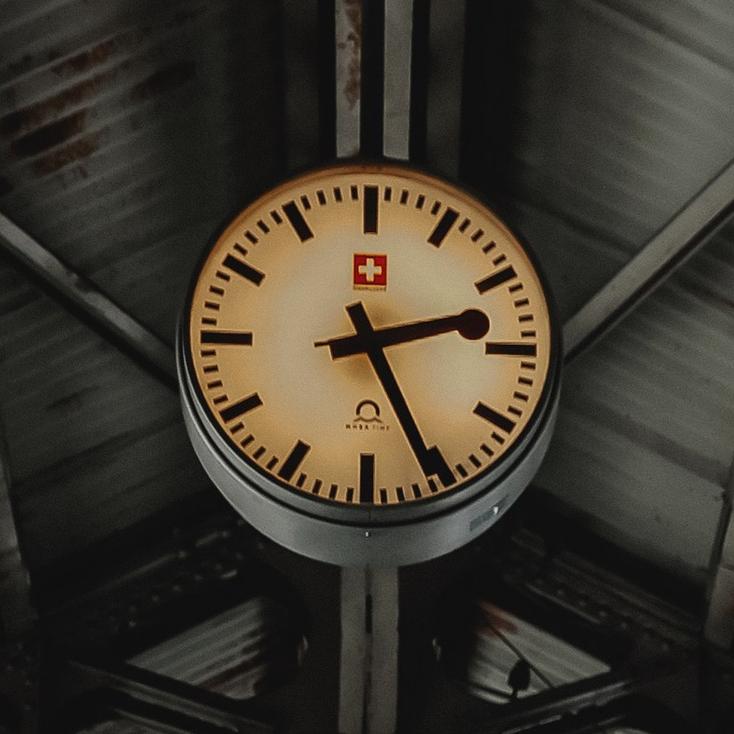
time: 2:25
